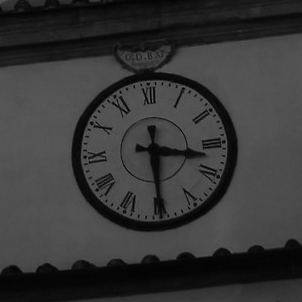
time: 3:29
